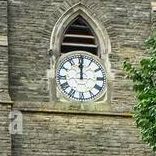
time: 12:00
